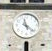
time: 11:21
